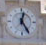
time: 12:24
